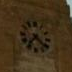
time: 7:21
